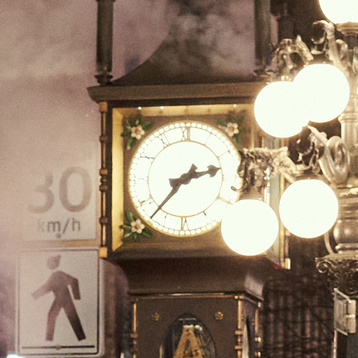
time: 2:36
